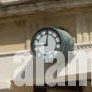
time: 9:01
